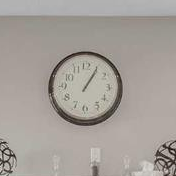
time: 1:05
